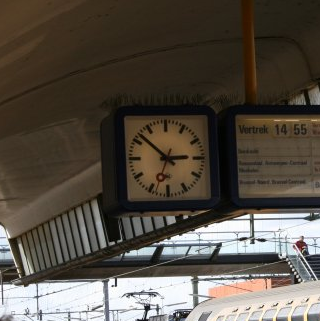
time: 2:52
